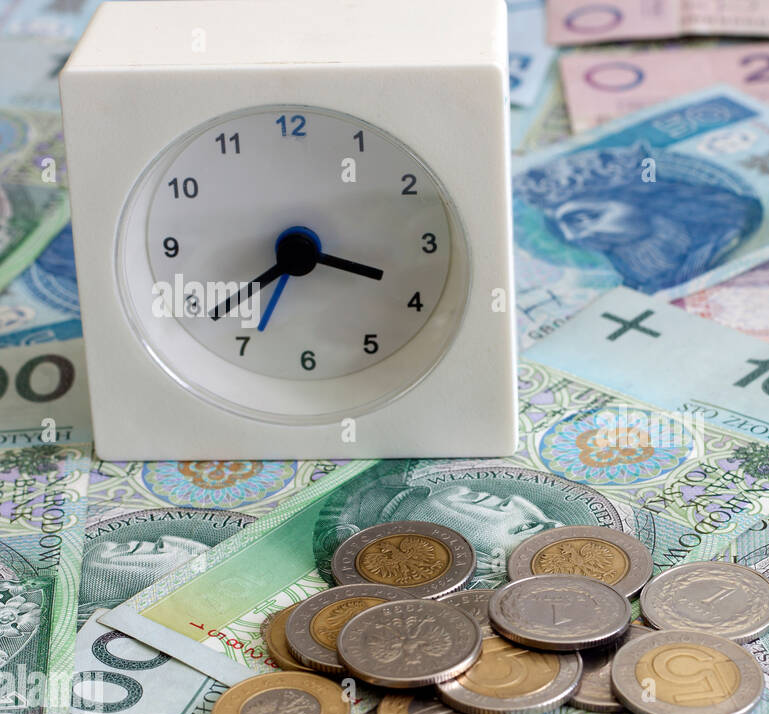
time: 3:38
